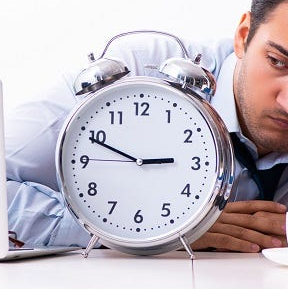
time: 2:49
